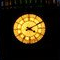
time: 4:10
